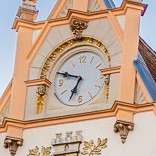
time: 6:48
